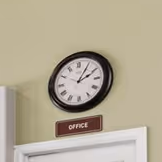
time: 2:05
